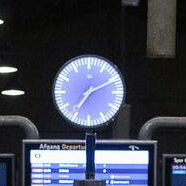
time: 7:10
